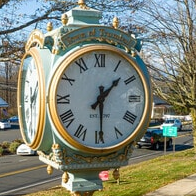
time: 1:29
